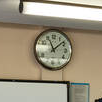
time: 11:08
